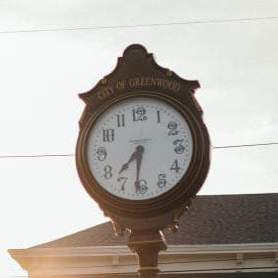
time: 7:31
